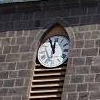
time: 11:55
